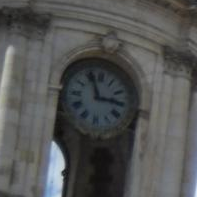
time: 2:56
